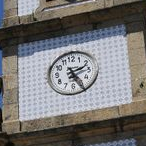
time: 2:25
